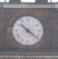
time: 10:21
